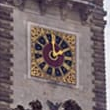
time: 1:59
